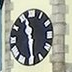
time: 11:29
